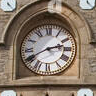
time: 2:40
